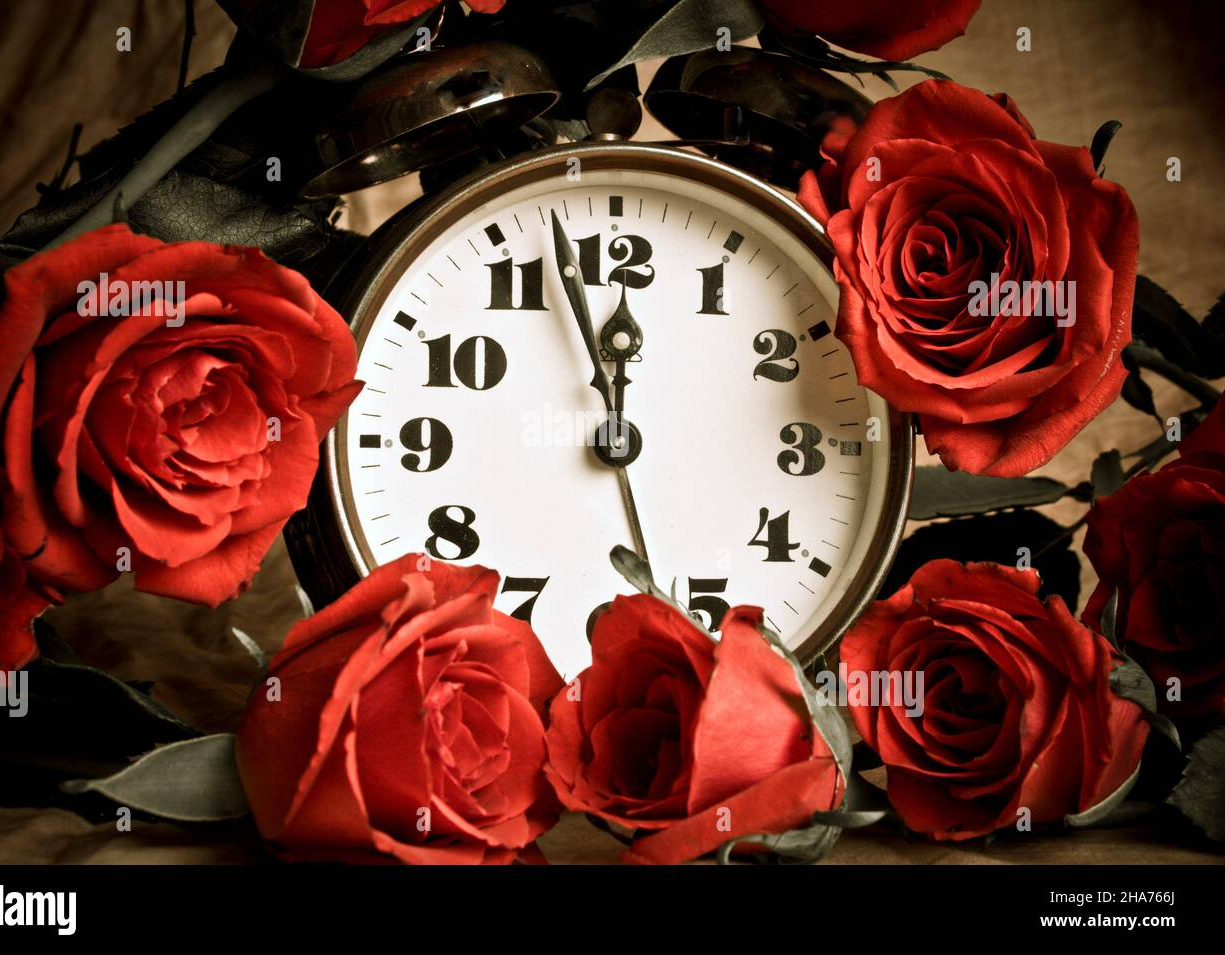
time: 11:57
